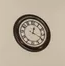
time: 12:19
